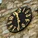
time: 11:28
